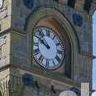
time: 9:50
